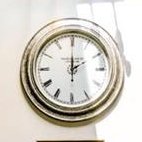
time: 2:00
